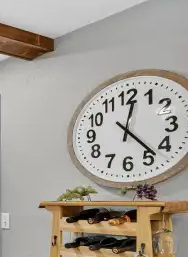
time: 12:23
